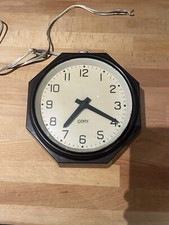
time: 7:19
